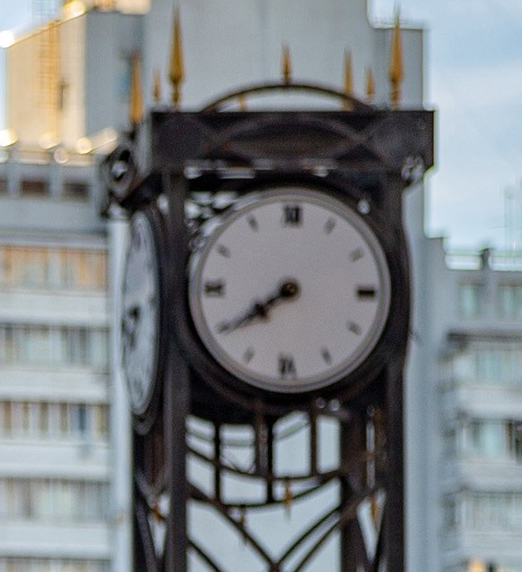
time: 7:39
